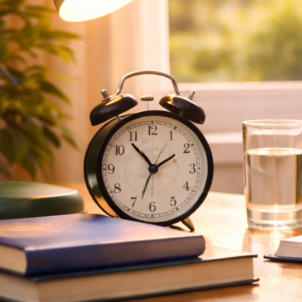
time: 1:53
